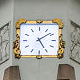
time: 5:08
